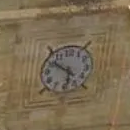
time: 5:51
